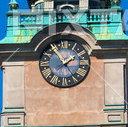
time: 1:54
